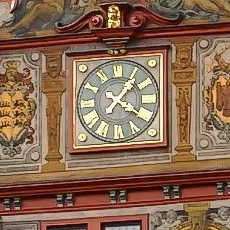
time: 1:20
